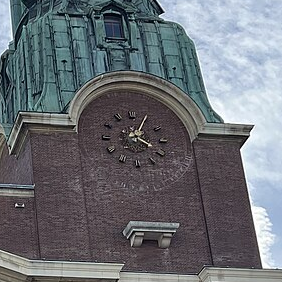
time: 4:04
